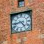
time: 4:43
